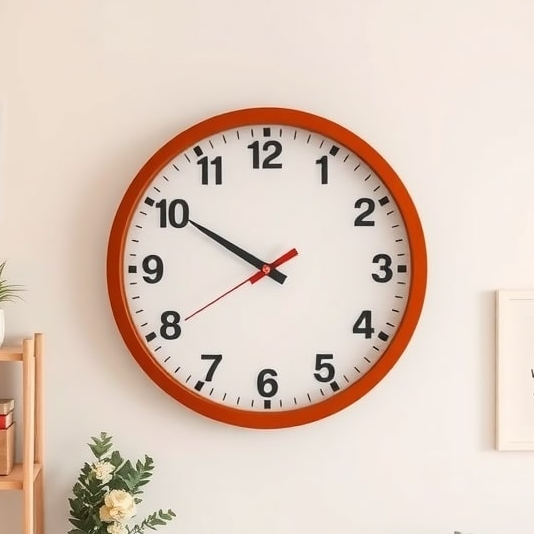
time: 9:50
